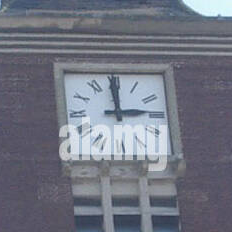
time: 2:59
